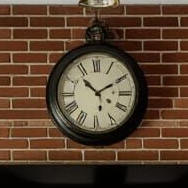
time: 1:52
